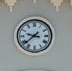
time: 9:38
